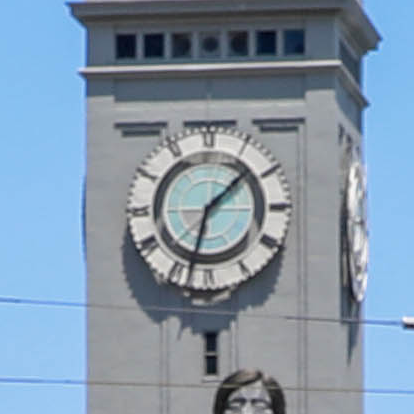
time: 1:32
